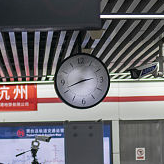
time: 2:41
